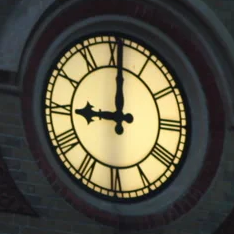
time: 9:00
